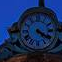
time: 4:20
